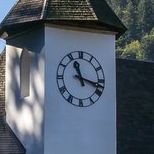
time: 11:17
